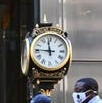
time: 11:45
